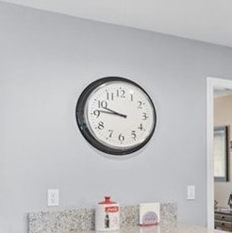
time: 9:46
